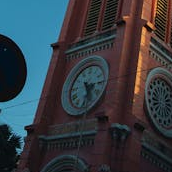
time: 5:14
